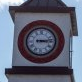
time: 3:13
